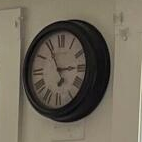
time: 2:54
